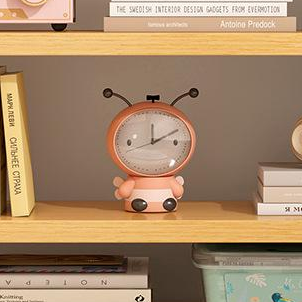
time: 12:10
